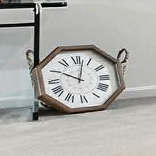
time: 10:02
